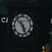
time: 10:26
